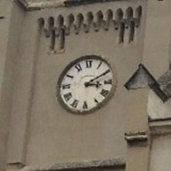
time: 3:10
